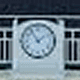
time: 1:54
